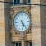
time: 5:23
